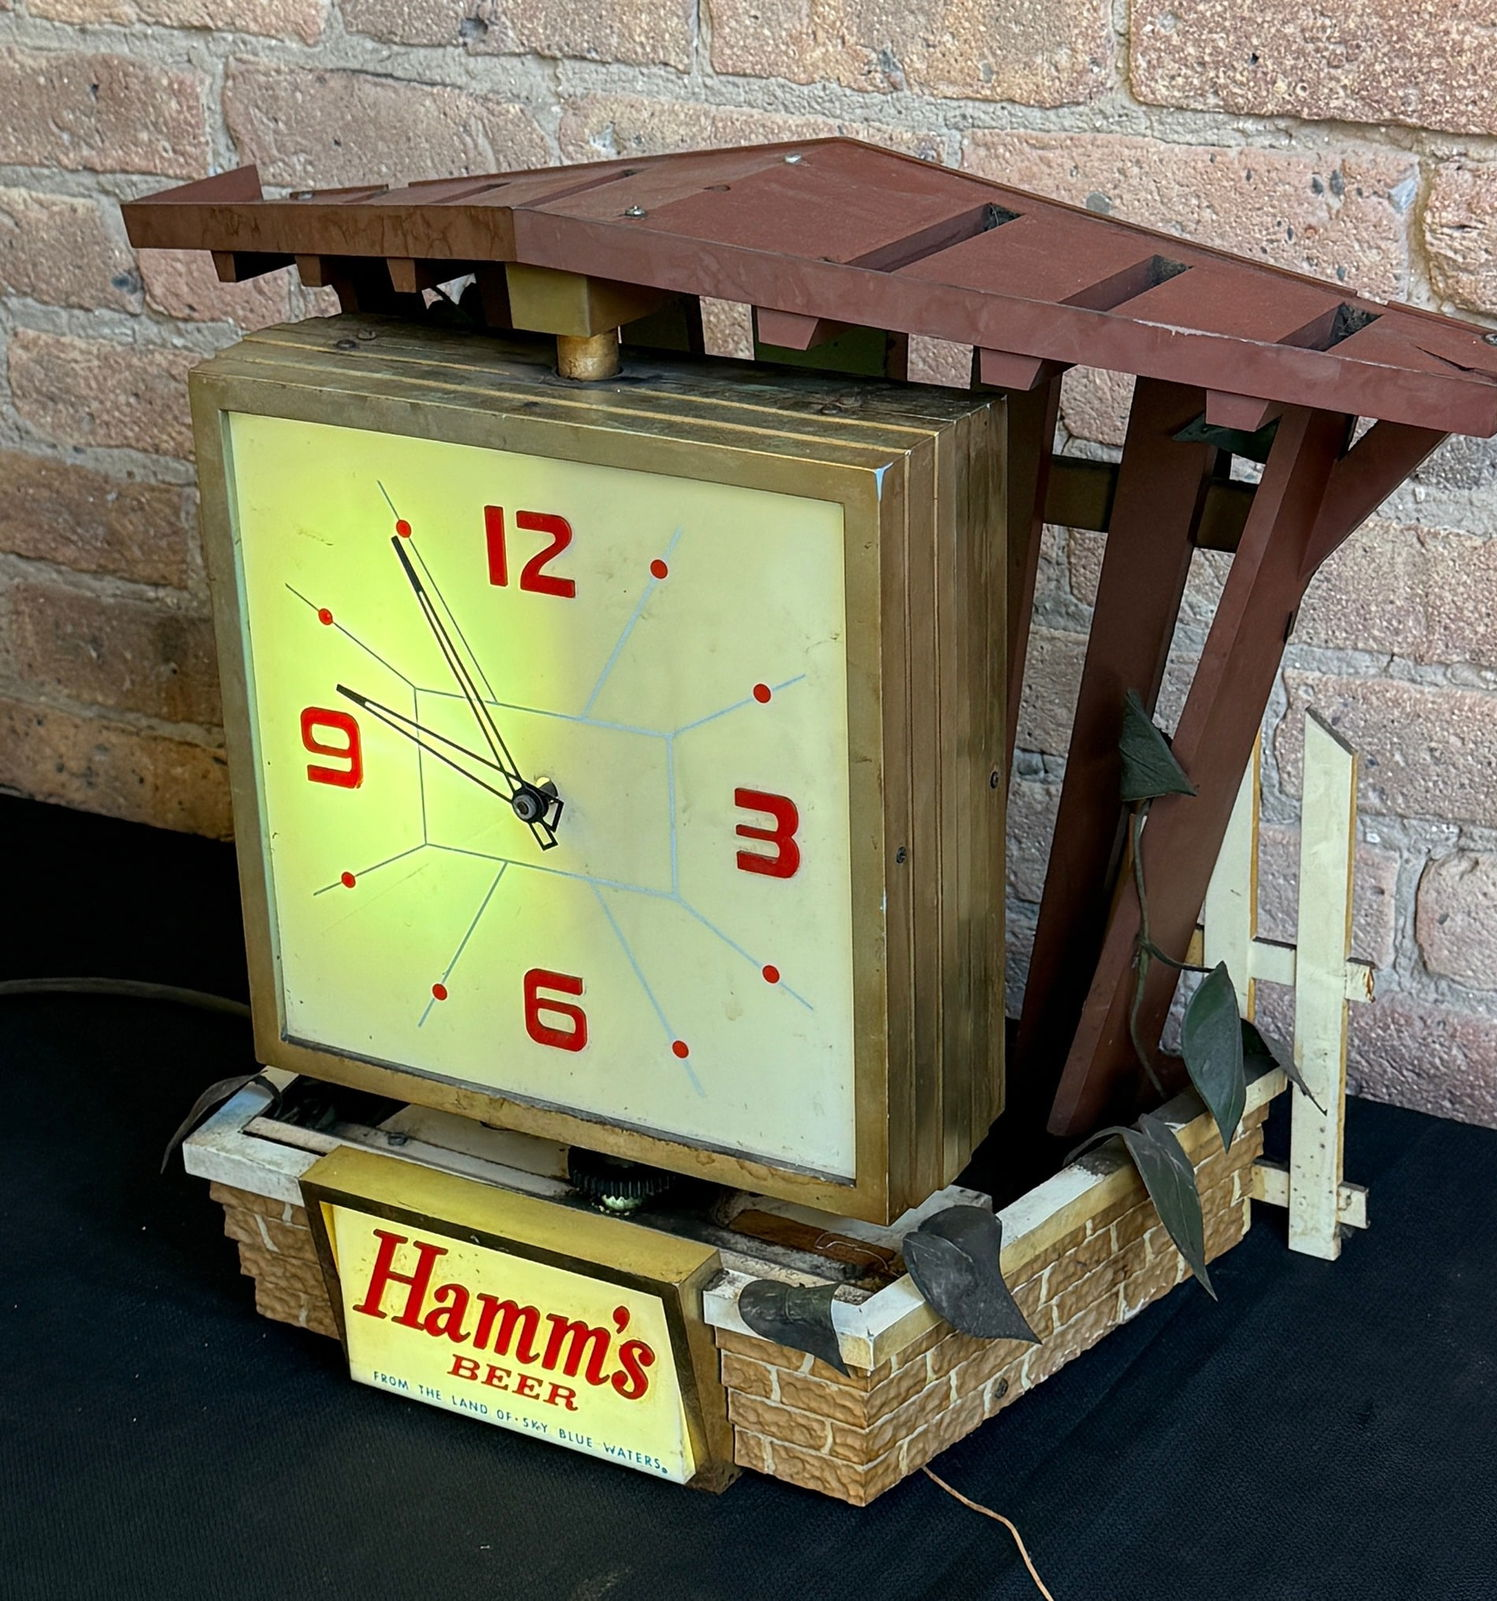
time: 9:54
